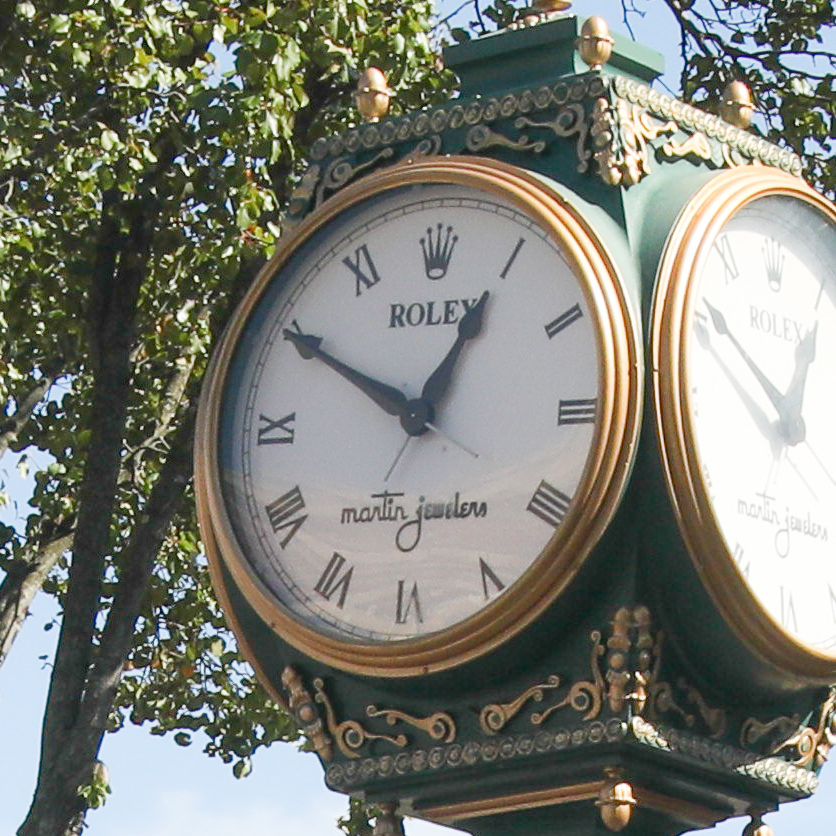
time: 12:50
